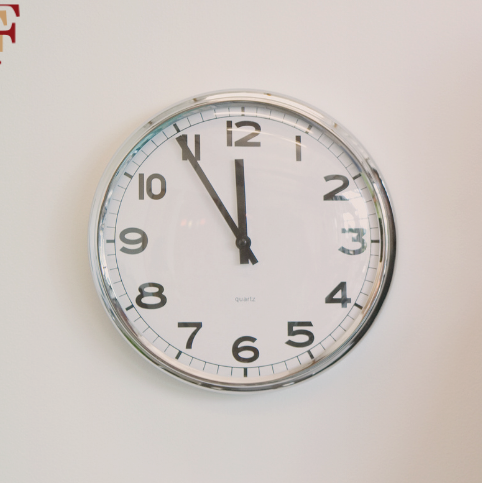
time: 11:54
